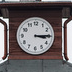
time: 3:14
